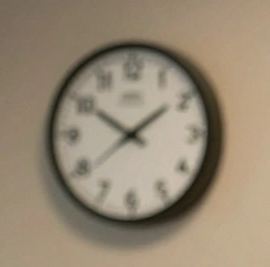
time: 1:50
